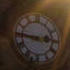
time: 2:46
